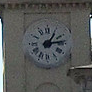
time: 1:13
